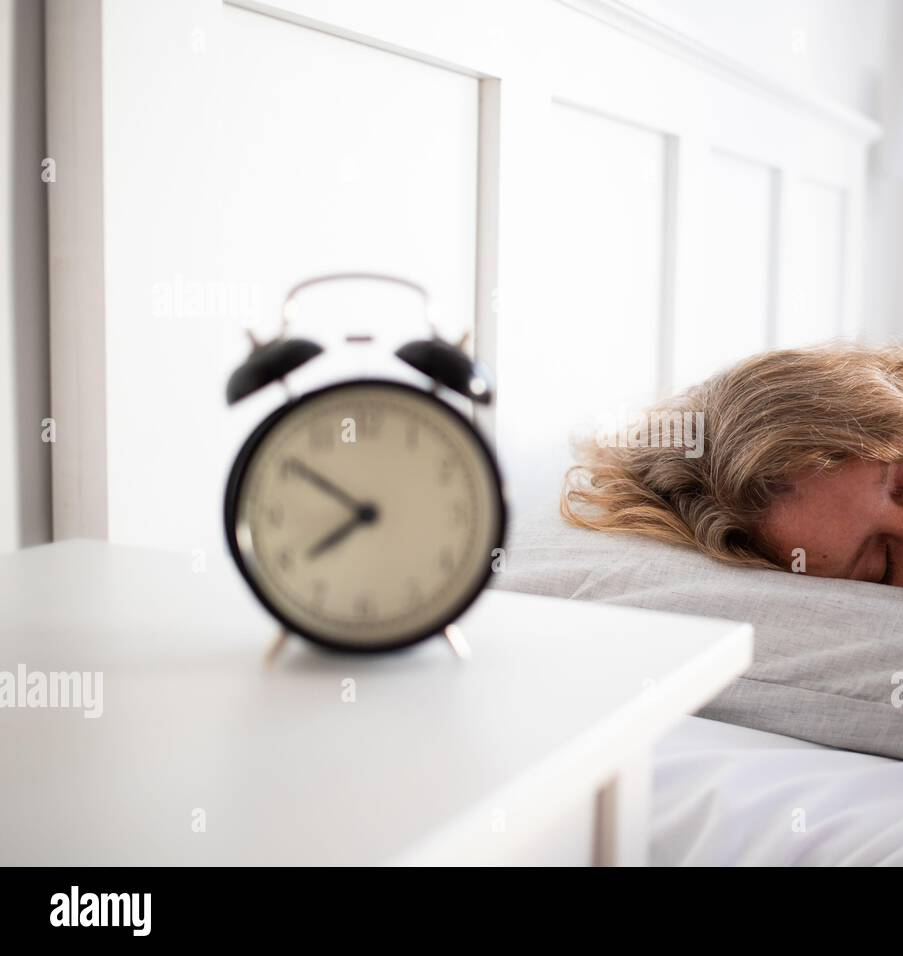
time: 7:51
